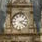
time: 2:21
